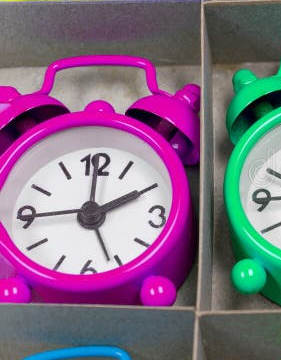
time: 2:00
